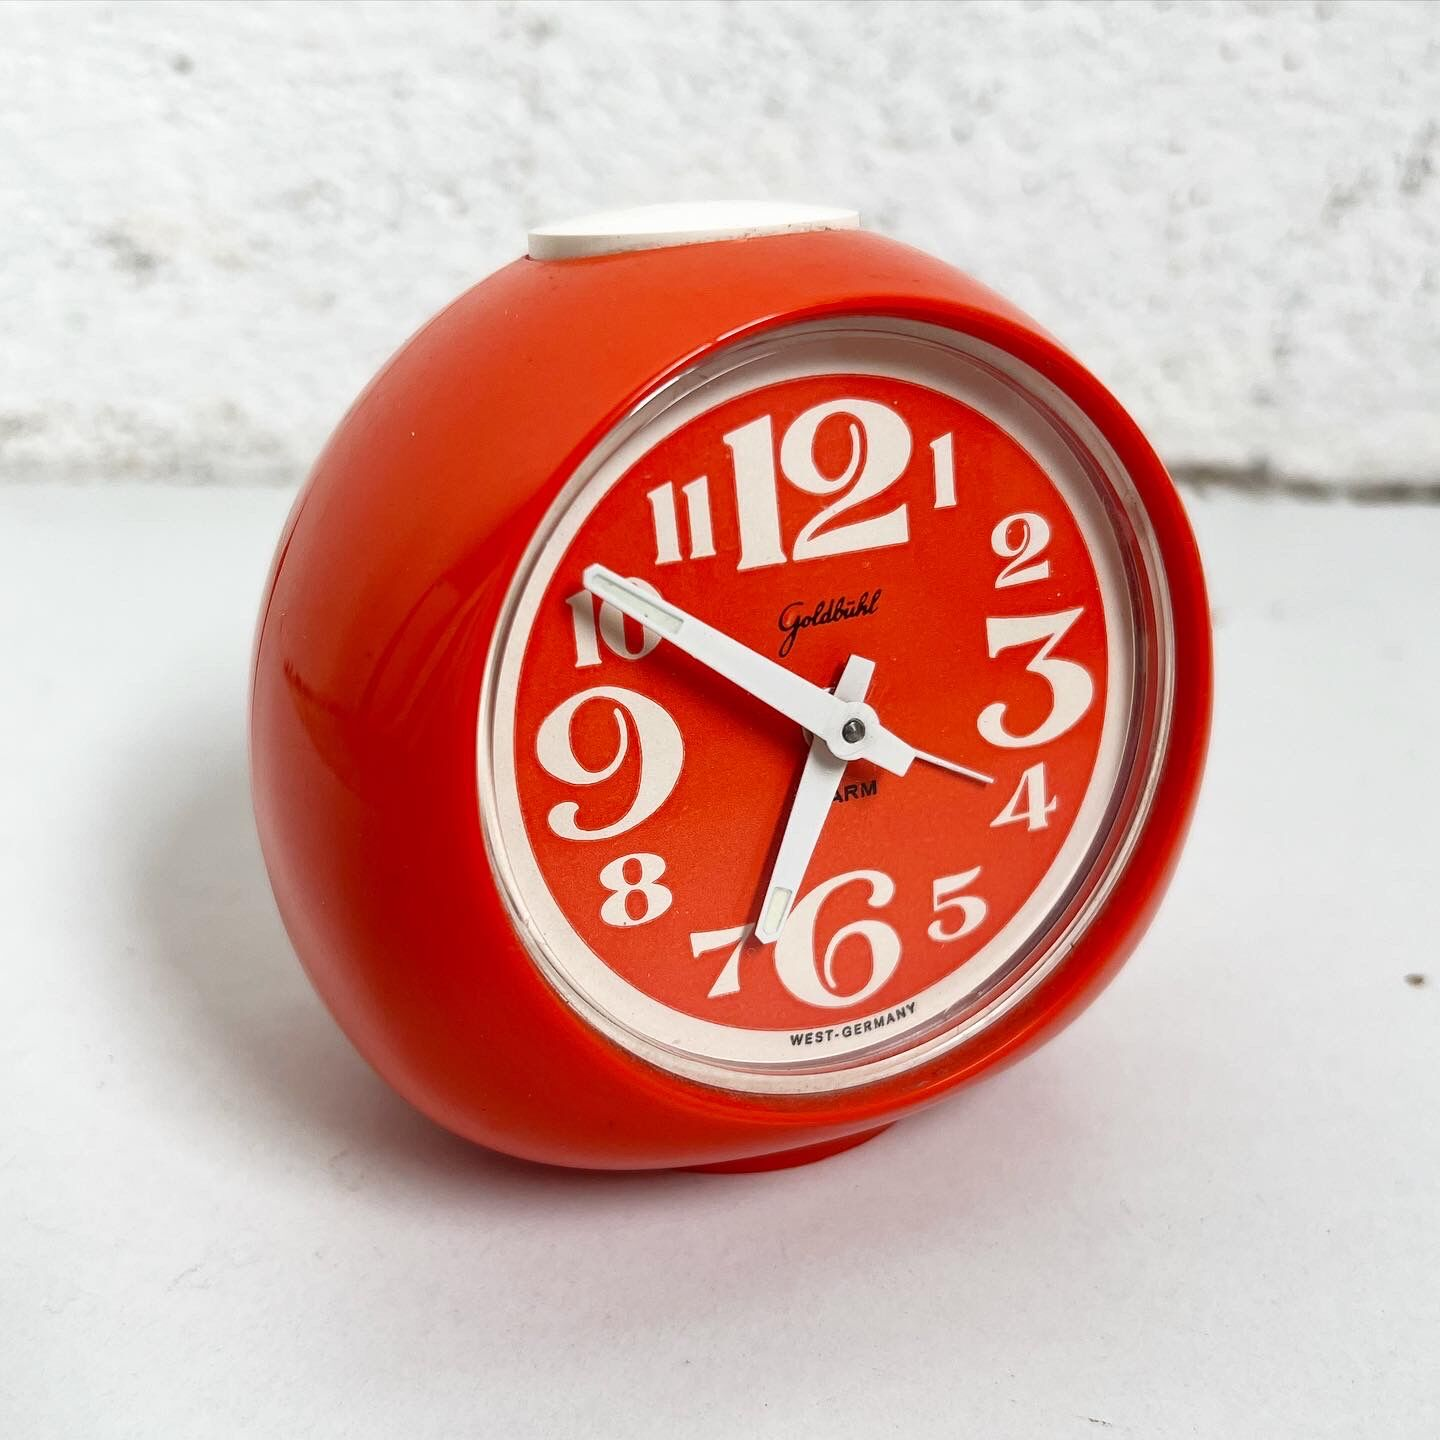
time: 6:50
